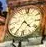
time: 4:35
